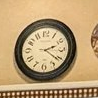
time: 2:21
